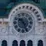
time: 10:25
